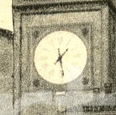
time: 1:28
